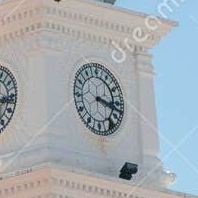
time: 3:17
